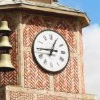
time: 12:45
